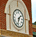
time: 1:32
